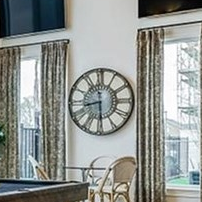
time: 8:29
